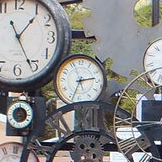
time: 2:33
